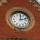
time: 12:12
